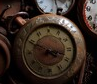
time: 3:49
